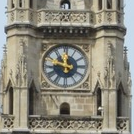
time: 10:48
